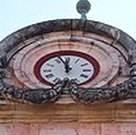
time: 11:56
